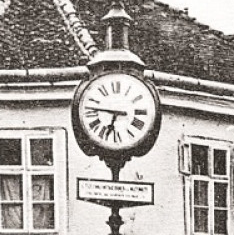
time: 6:46
